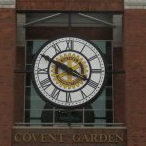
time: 3:49
